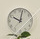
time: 10:02
